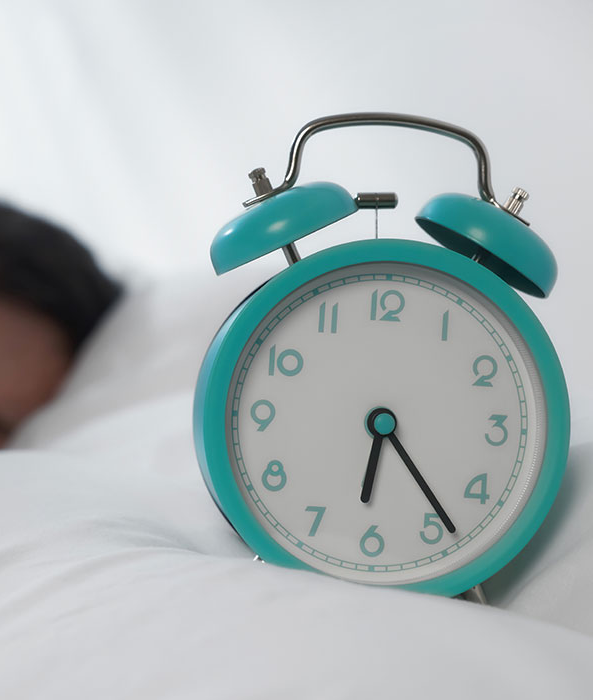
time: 6:23
